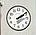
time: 2:09
